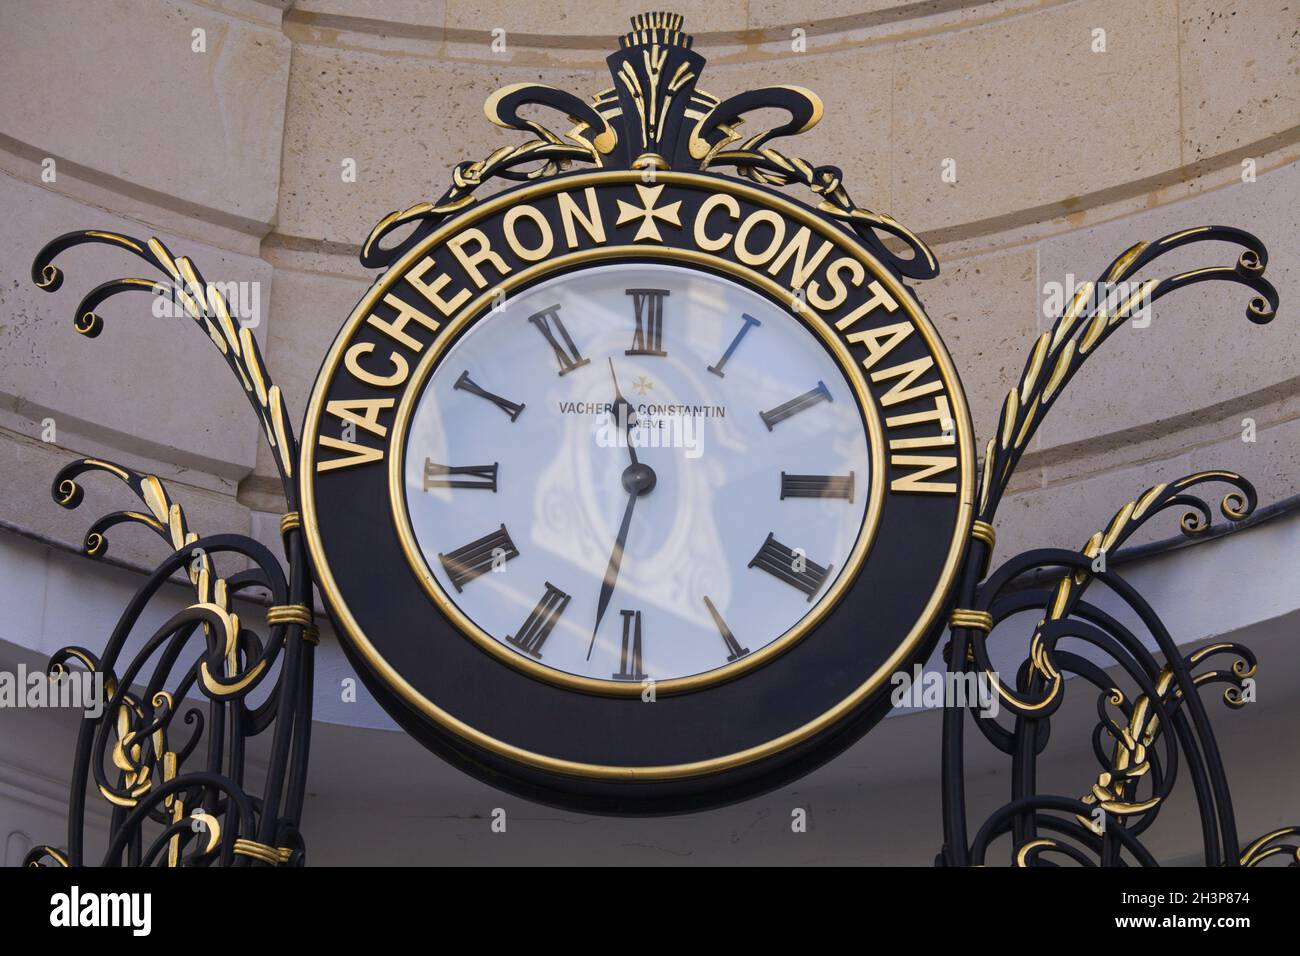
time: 11:32
